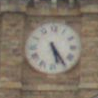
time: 5:24
